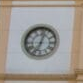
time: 7:02
